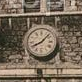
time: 8:07
